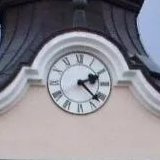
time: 2:22
